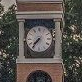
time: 7:36
